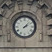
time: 2:07
